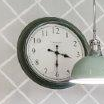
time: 3:29
